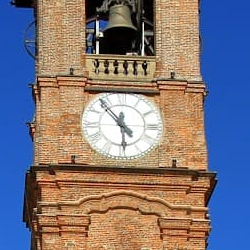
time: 5:53
